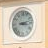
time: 3:12
